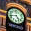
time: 4:42
